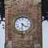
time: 4:31
